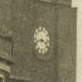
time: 3:41
